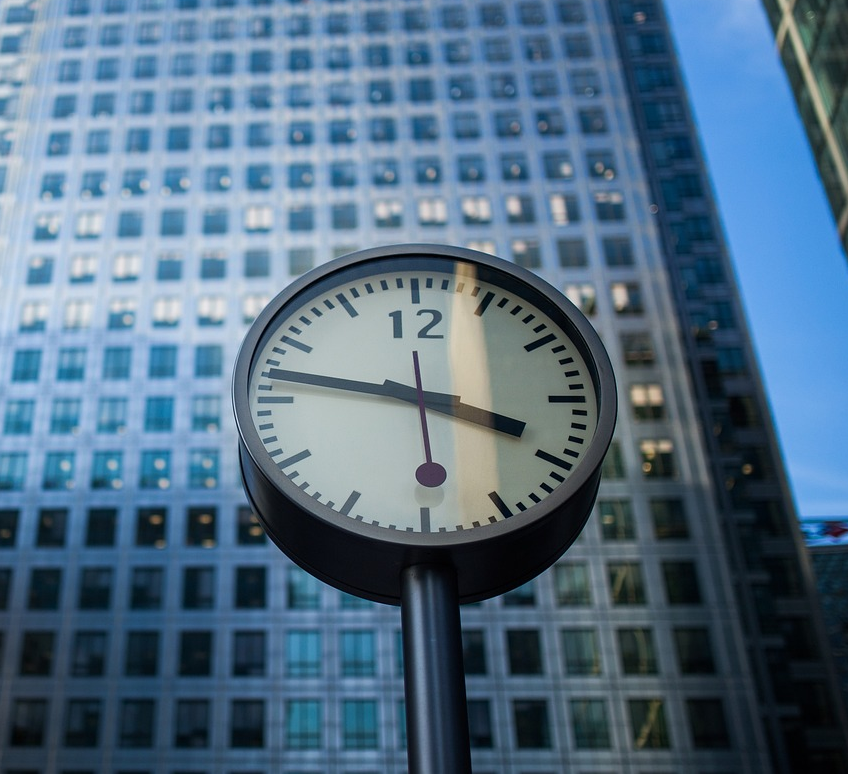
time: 3:47
